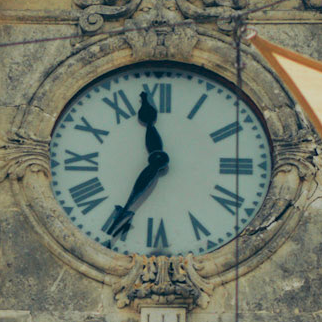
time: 11:35
